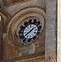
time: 1:39
